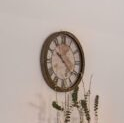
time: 10:21
